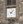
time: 9:07
